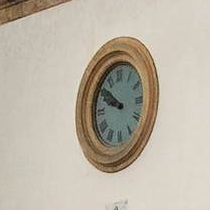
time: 9:51
